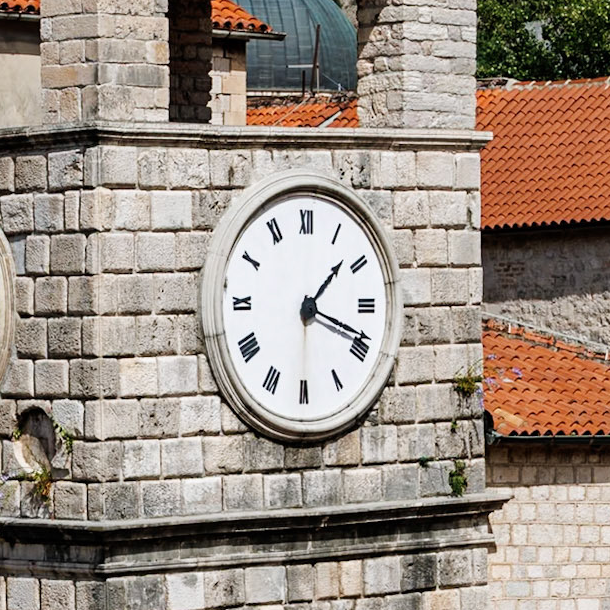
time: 1:18
